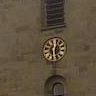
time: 12:28
